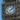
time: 7:07
